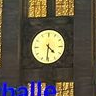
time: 4:31
